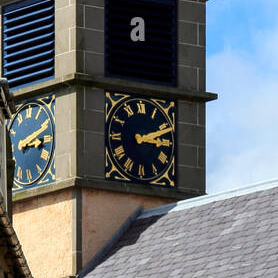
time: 3:11
